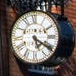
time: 5:20
